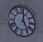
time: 5:00
